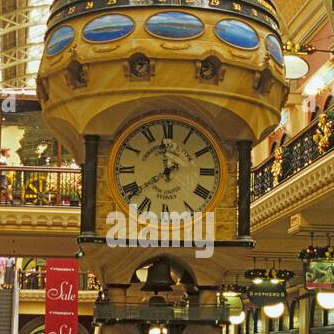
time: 11:38
